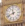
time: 11:41
